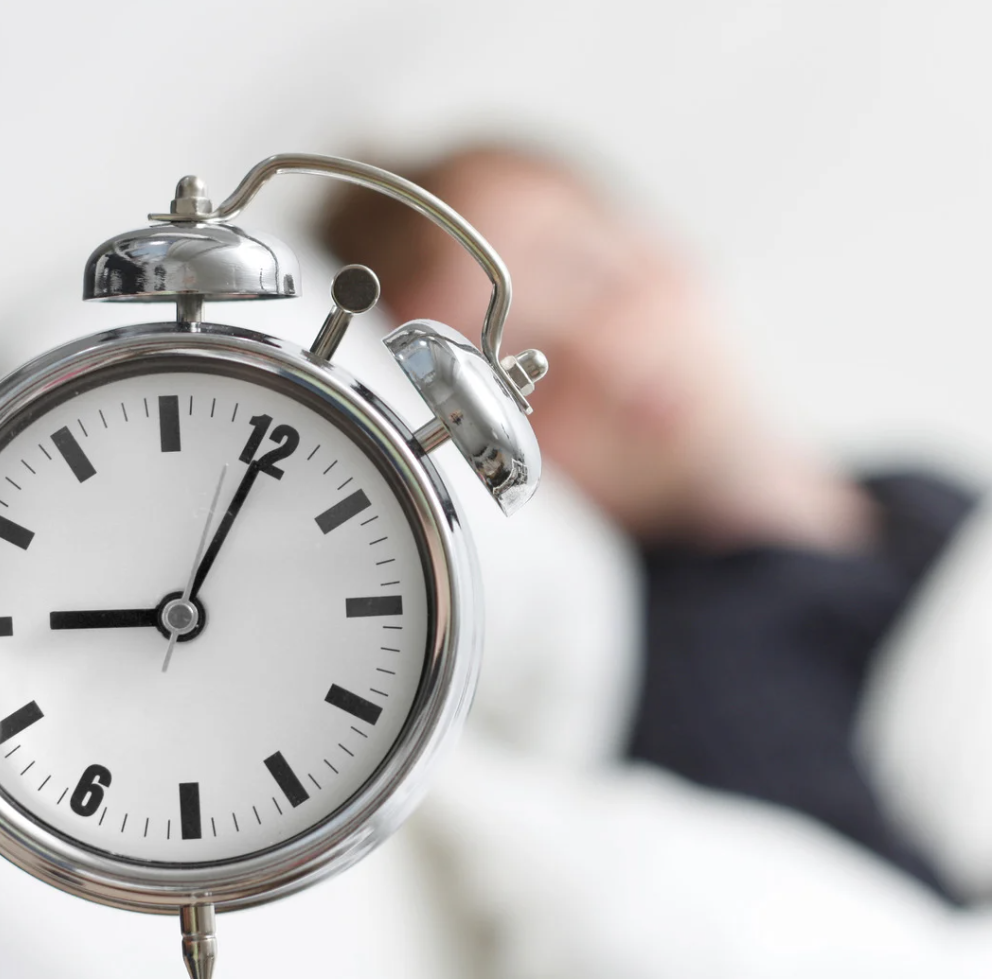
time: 9:05
